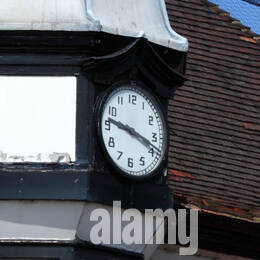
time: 9:18
